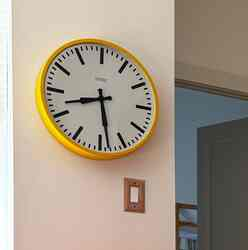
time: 8:28
